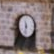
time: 11:32
